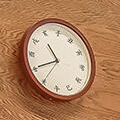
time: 10:40
